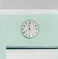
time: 11:40
